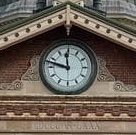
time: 11:47
